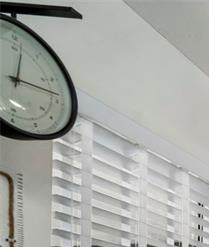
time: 12:13
